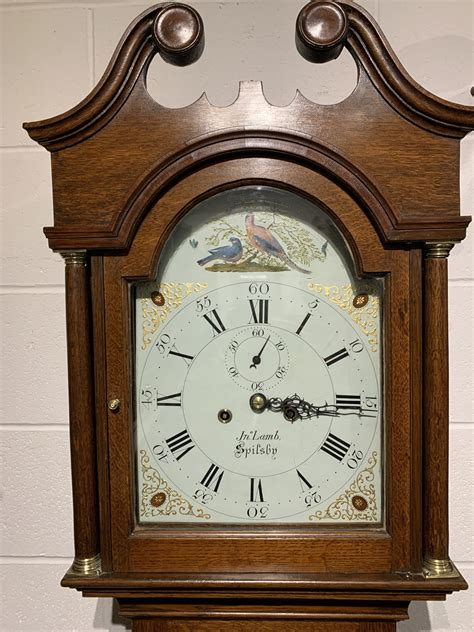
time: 3:15
